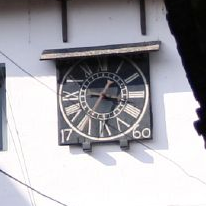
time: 1:17
